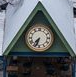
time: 7:33
